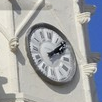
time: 2:08
